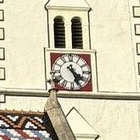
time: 4:26
